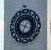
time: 6:47
